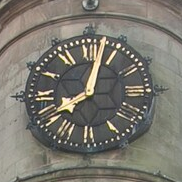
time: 8:02
